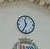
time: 11:34
